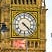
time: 4:22
